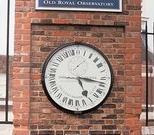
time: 5:16
